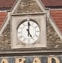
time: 5:00
